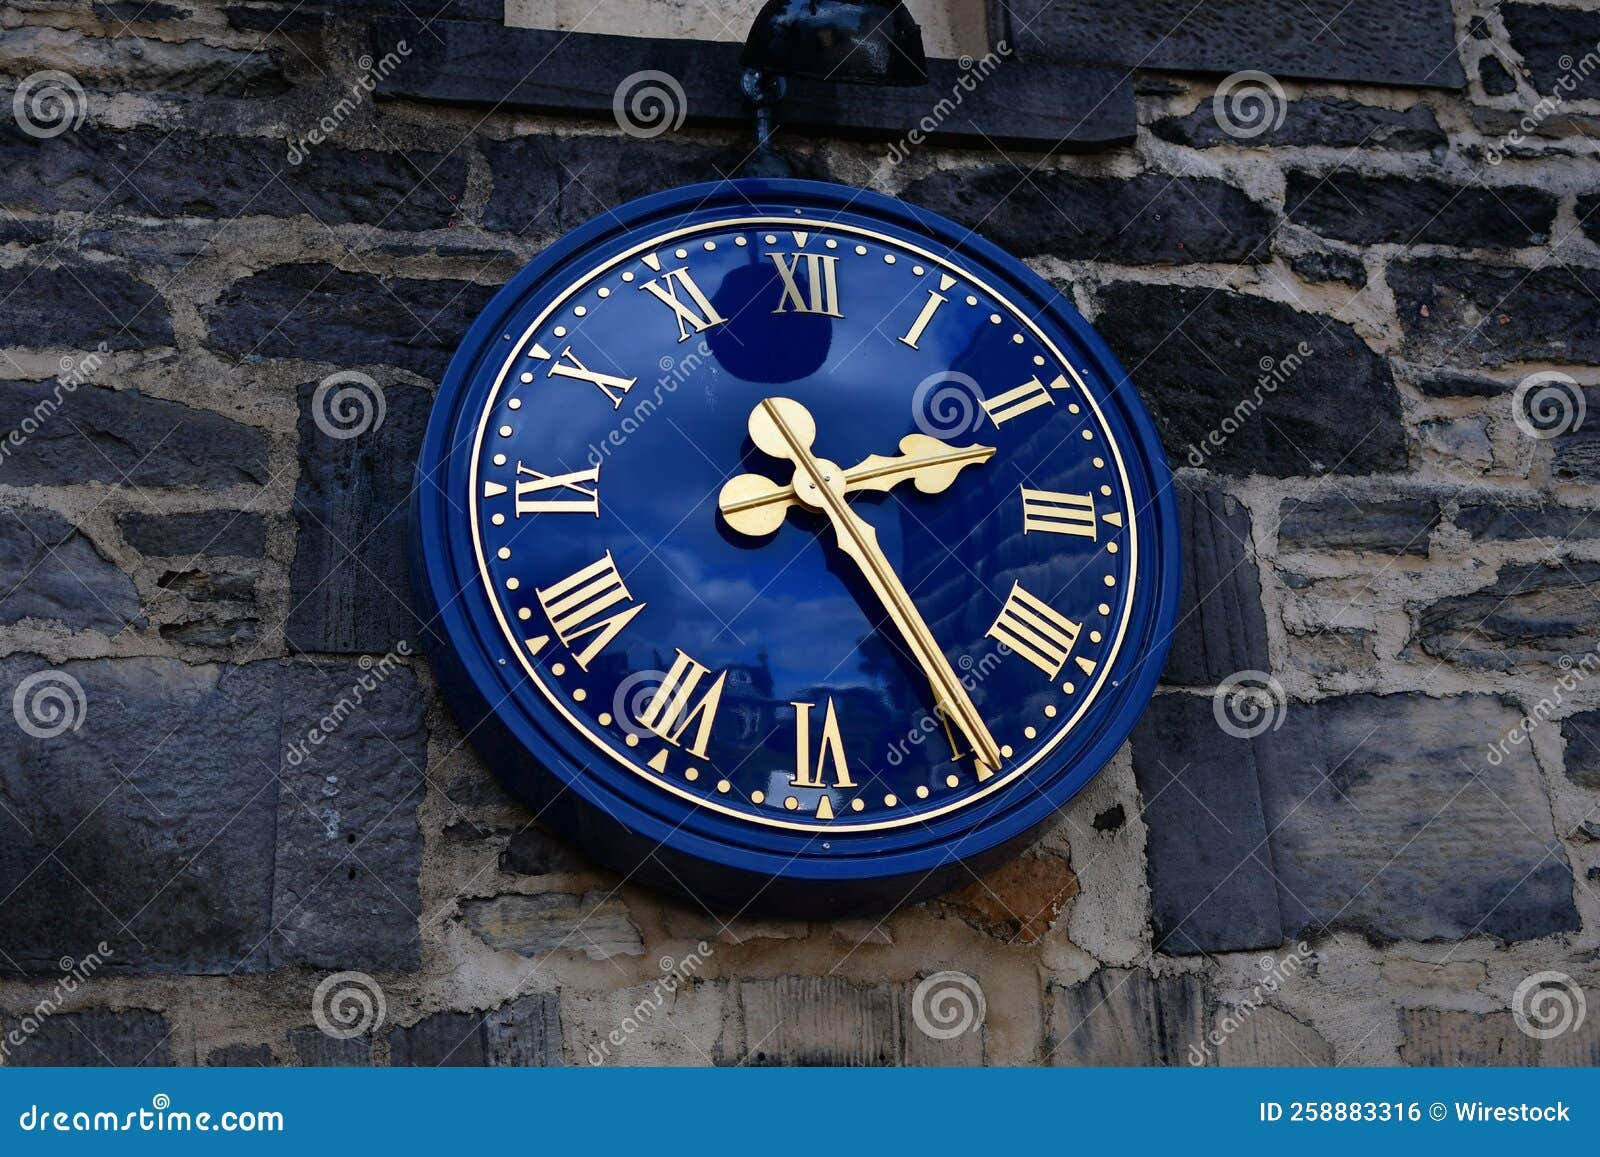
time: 2:24
